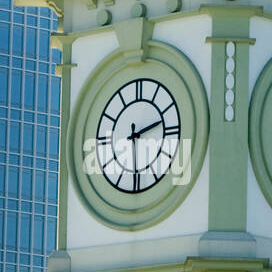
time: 2:29
